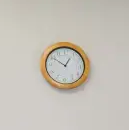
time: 12:50
